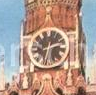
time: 2:32
